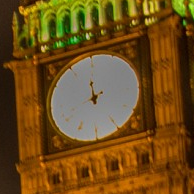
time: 5:41
